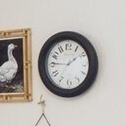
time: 1:45
